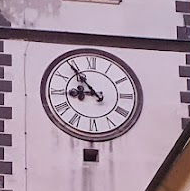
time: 8:53
